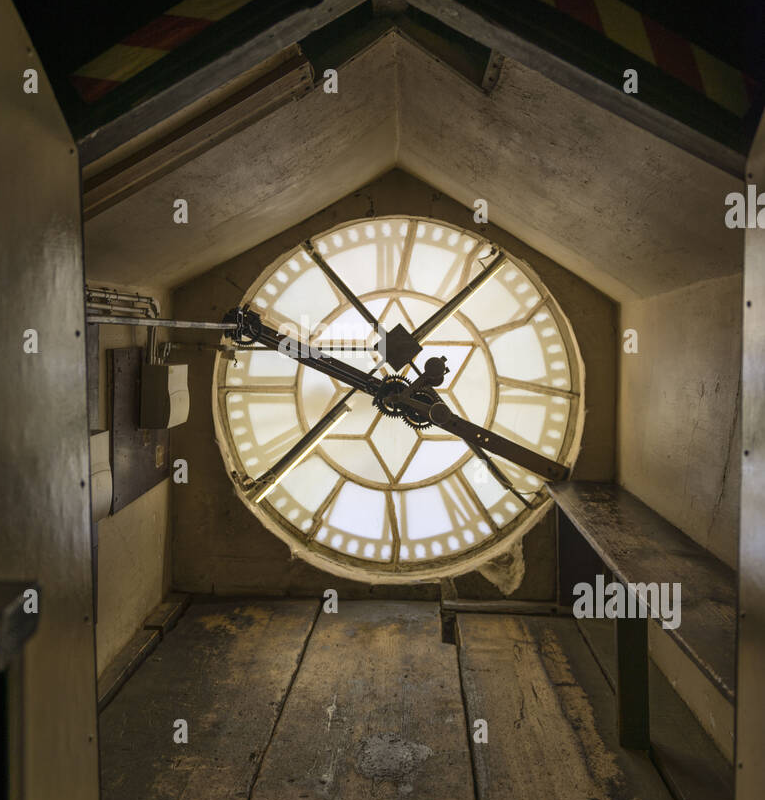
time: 3:48
